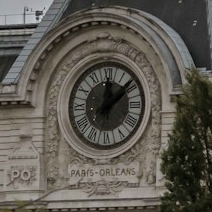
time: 12:08
